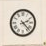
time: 2:22
